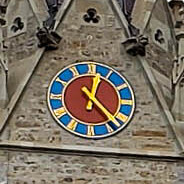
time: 12:22
